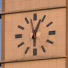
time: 6:03
